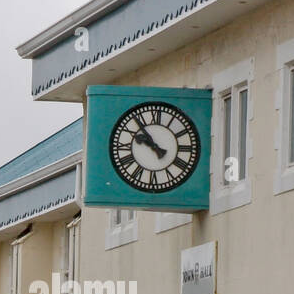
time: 9:53
